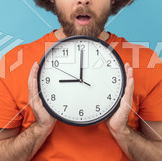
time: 9:00
